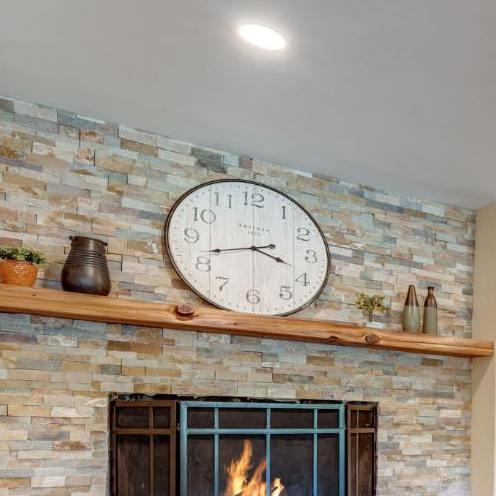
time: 3:42
